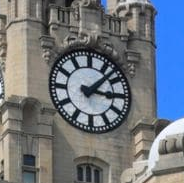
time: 3:07
